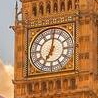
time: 7:01
